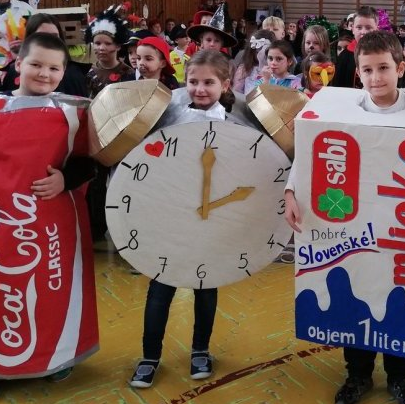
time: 11:59
